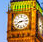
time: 8:14
